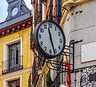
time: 11:26
